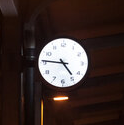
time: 4:45
